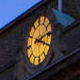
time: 2:18
